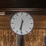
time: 6:31
